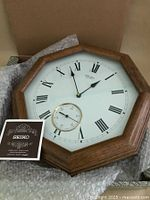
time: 1:58
